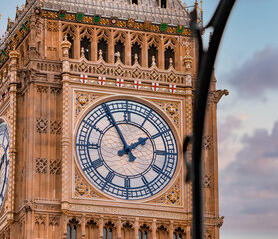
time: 1:55
